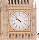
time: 9:52
